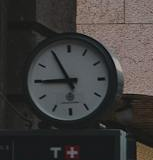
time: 8:55
